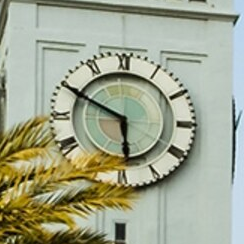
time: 5:49
